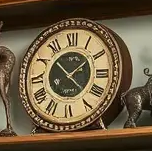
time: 1:52
